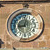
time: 9:01
